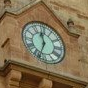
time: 11:33
